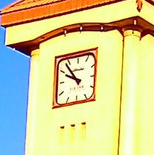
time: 9:53
